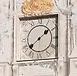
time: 1:38
